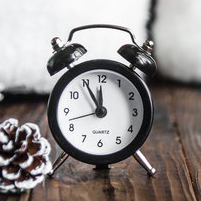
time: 11:55
